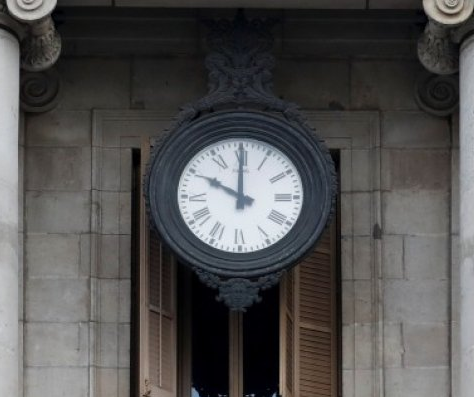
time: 10:00
